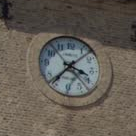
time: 3:36
